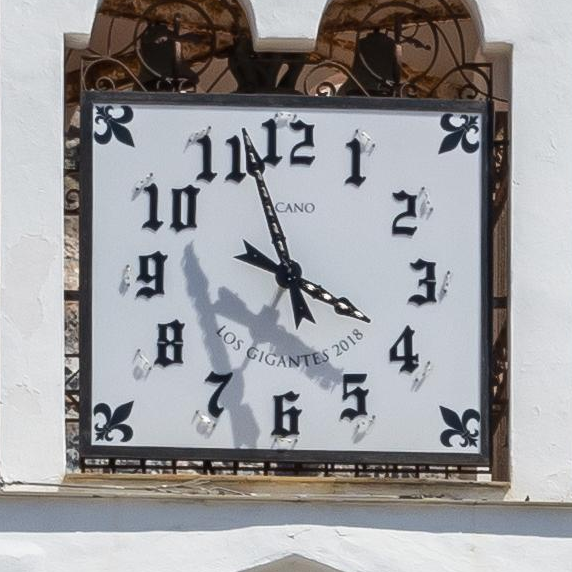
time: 3:57
